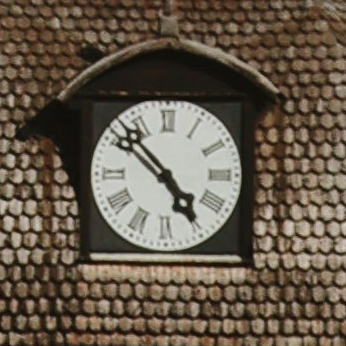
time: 4:52
